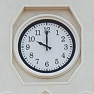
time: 9:59
